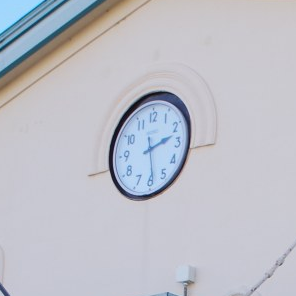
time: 2:29
